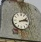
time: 2:13
